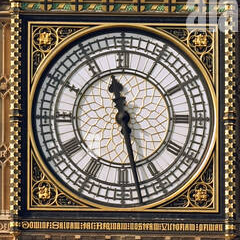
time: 11:27
